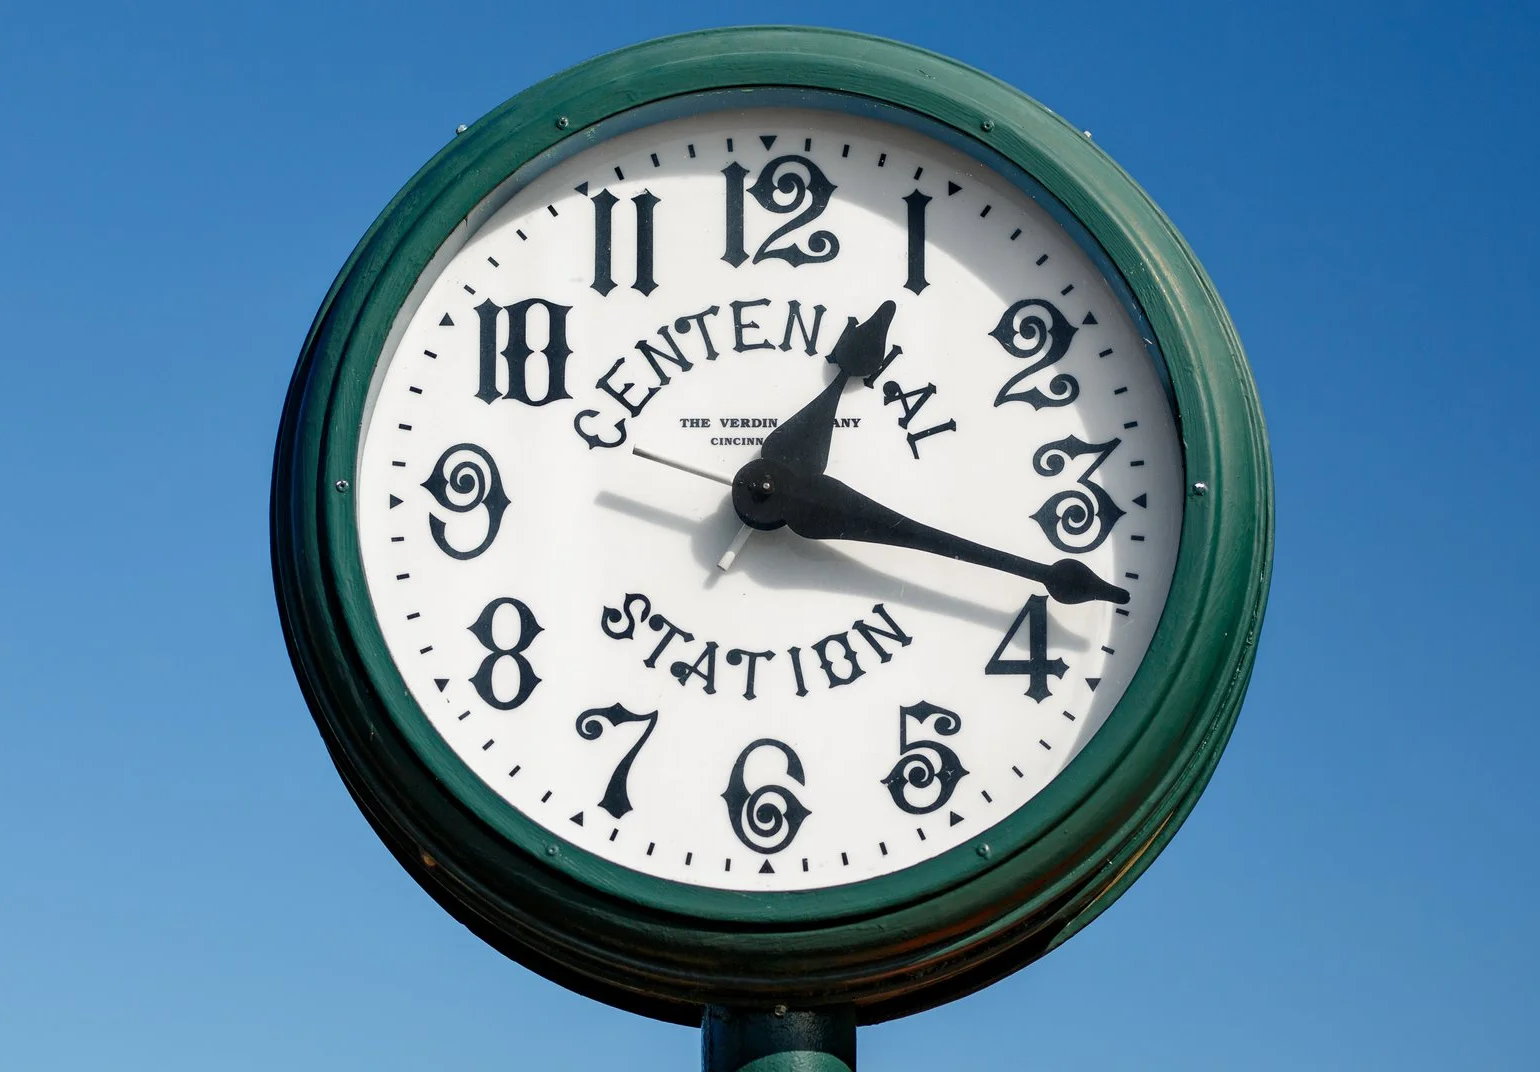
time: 1:17
